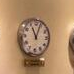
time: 11:03
